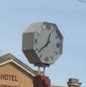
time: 12:38
